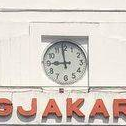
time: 8:59
